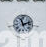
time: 11:12
